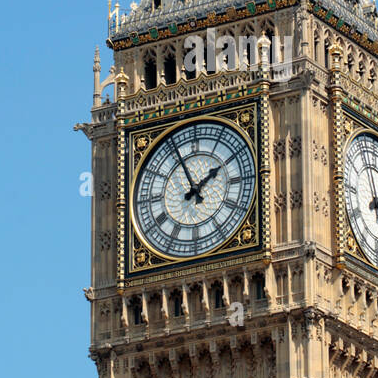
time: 1:56
